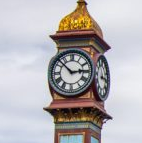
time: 2:52
